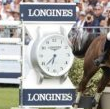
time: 6:37
